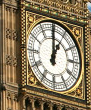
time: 1:00
